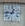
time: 12:46
